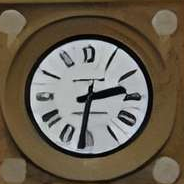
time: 2:31
